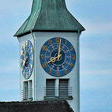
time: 8:01
